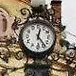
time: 12:23
